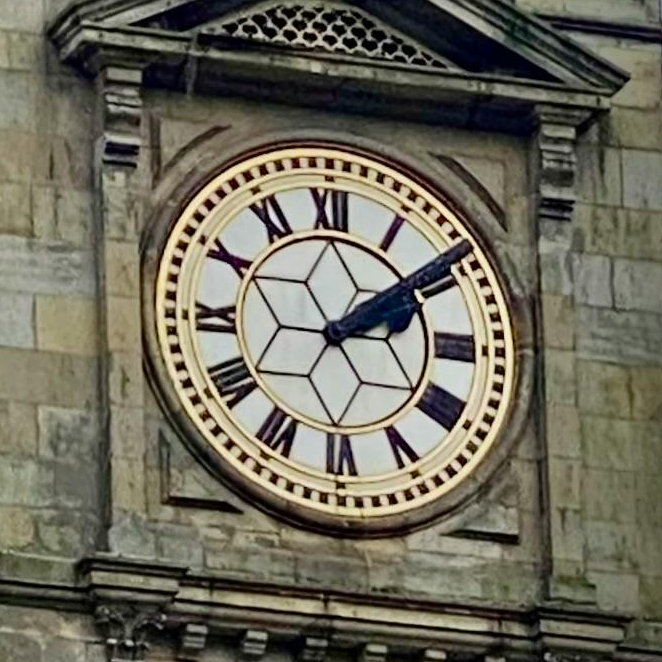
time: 2:09
